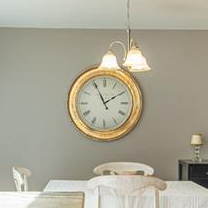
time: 1:55
